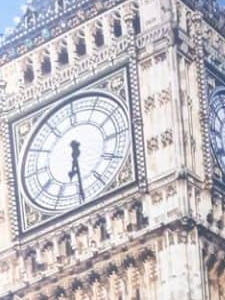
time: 6:29
